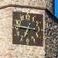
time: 6:45
